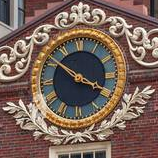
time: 3:51
